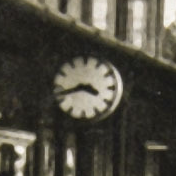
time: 3:42
